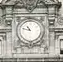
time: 10:47
